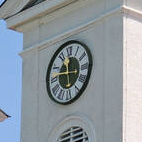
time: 11:46
